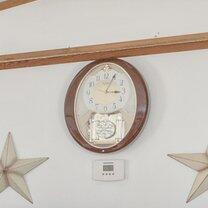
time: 3:04
